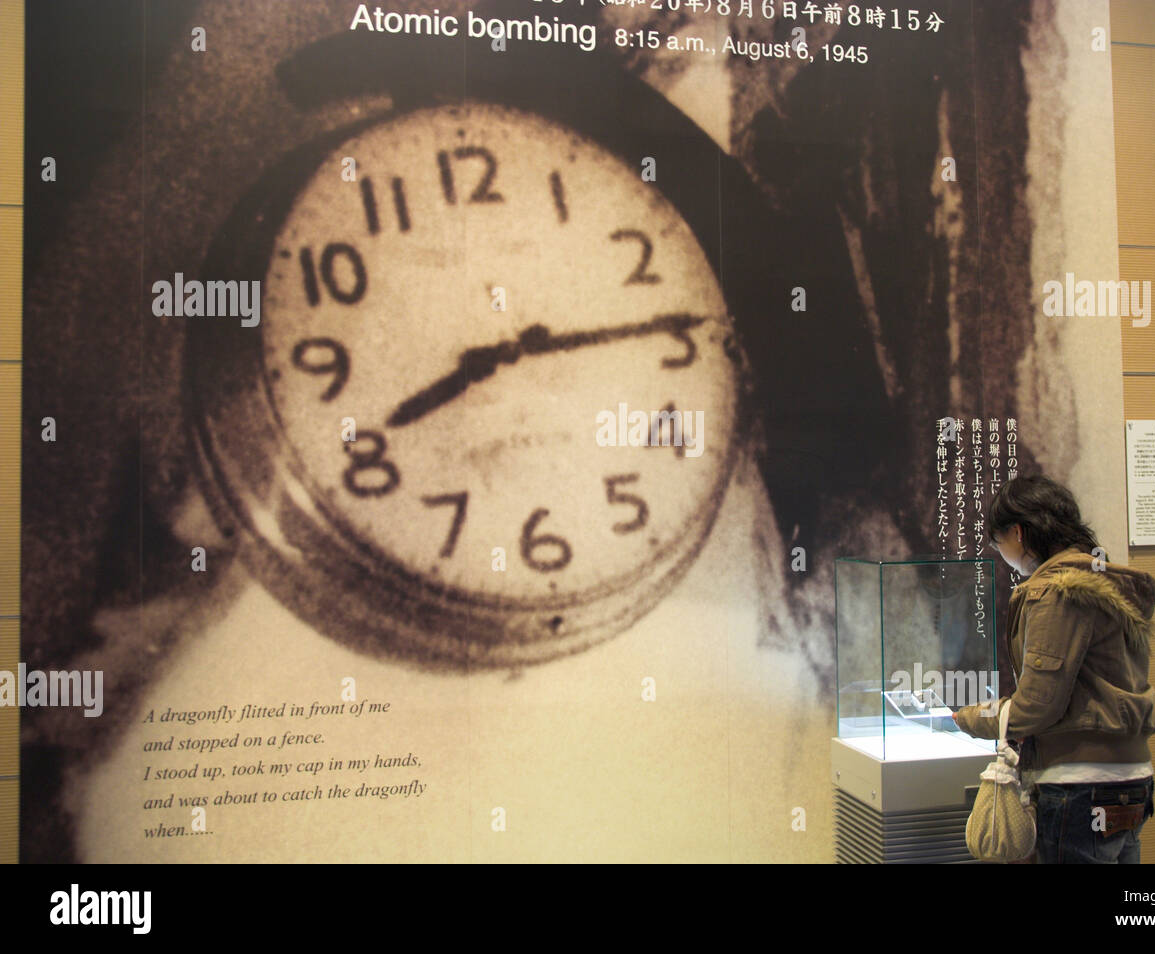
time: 8:14
